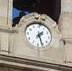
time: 1:26
